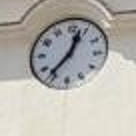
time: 12:36
